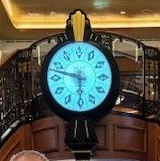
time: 5:47
